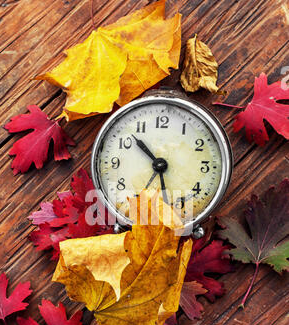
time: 10:28
